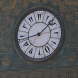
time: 1:43
